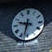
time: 9:32
